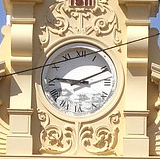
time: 9:11
